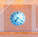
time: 7:21
